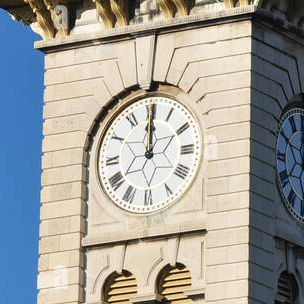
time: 12:00
